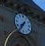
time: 7:36
